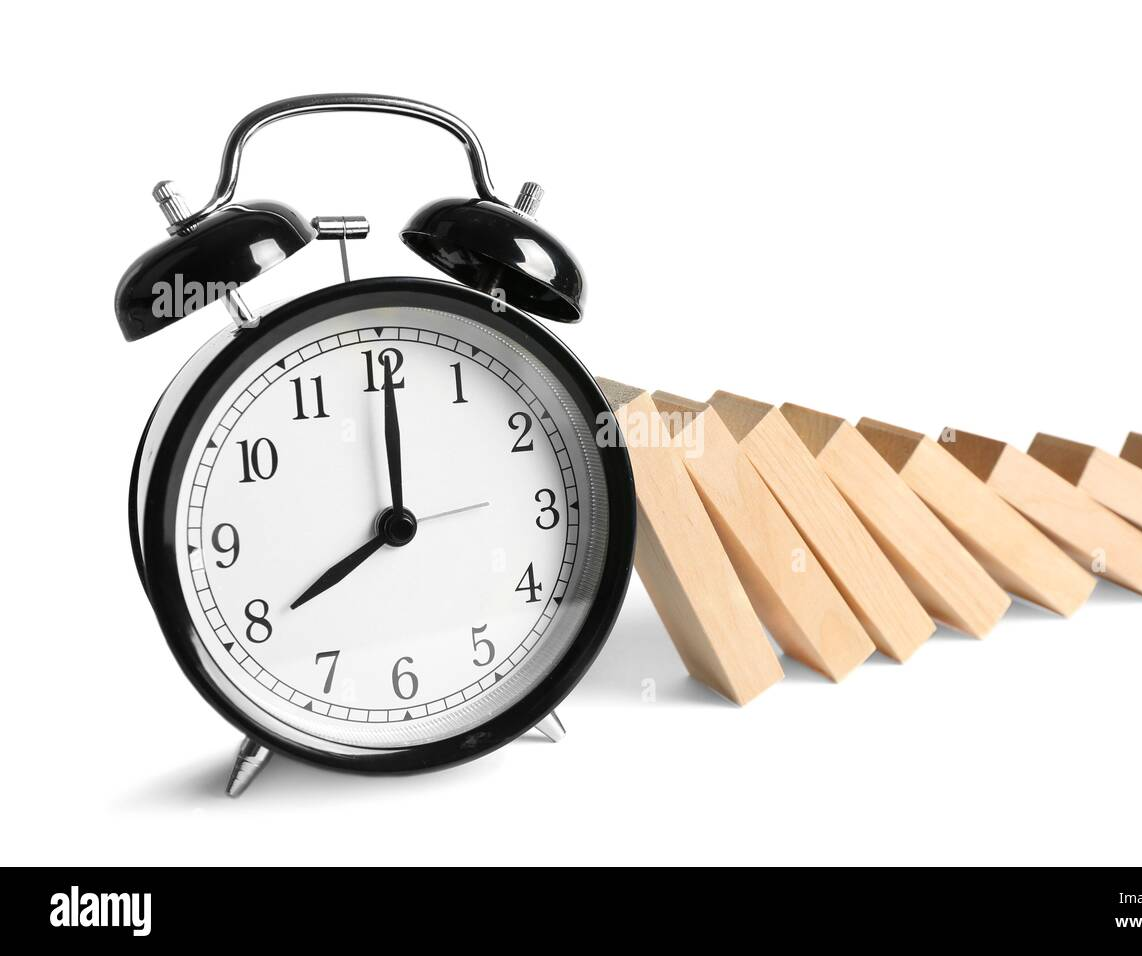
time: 8:00
